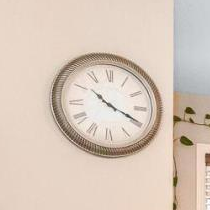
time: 10:19
